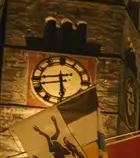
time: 5:44
